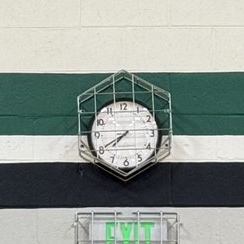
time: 7:40
